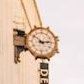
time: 2:52
